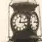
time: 3:02
